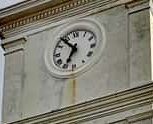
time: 6:53
